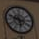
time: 5:48
